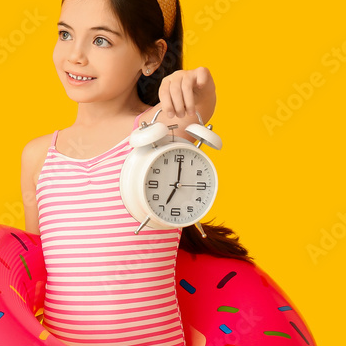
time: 7:00
